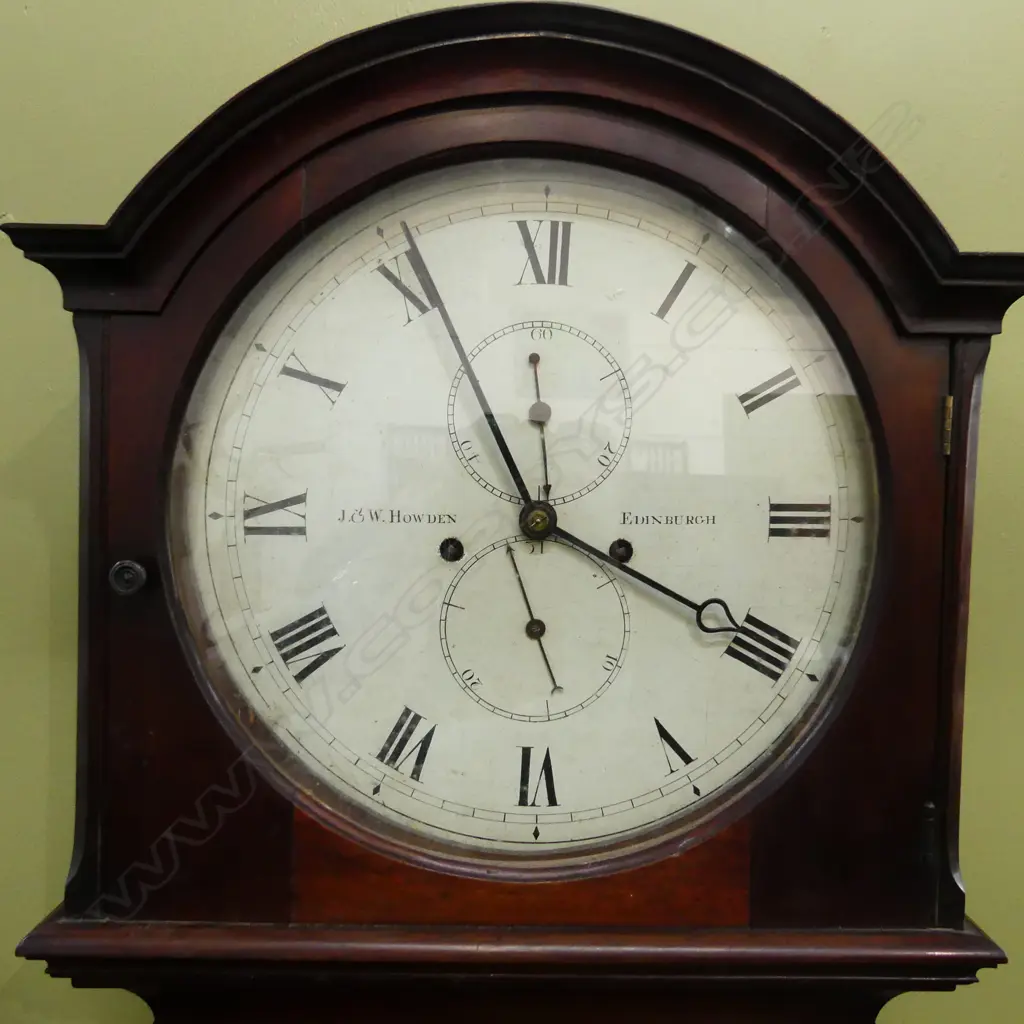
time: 3:55
